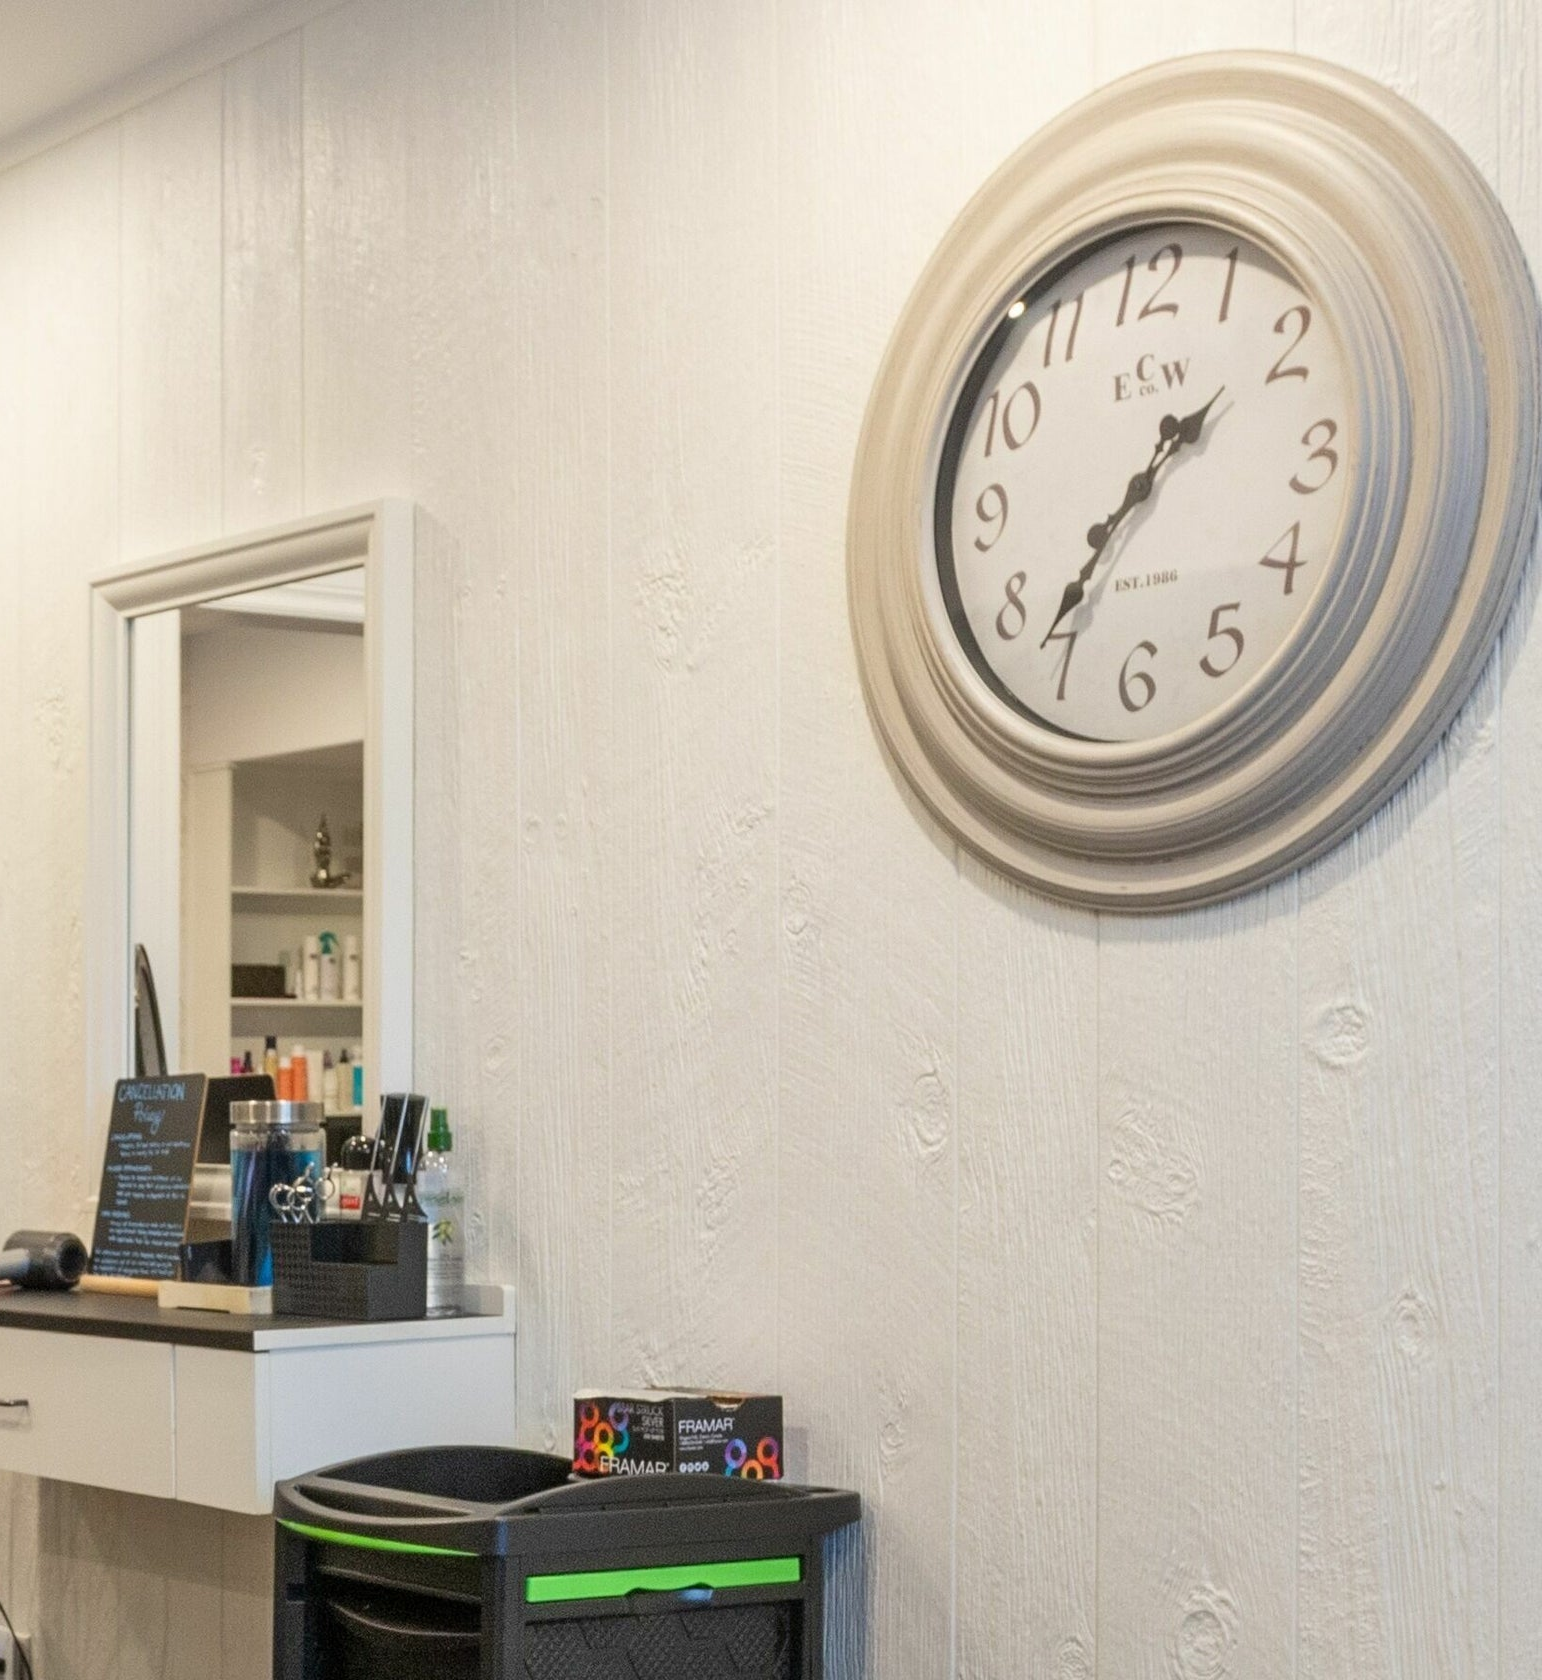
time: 1:36
